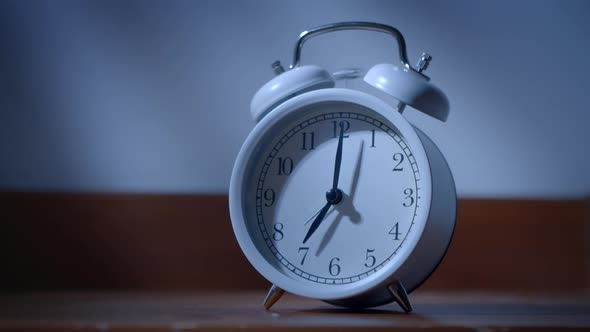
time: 7:01
